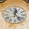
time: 12:23
